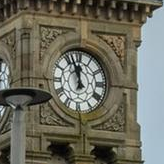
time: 11:56
